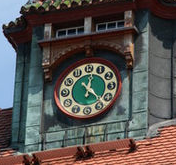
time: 12:23
